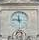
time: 11:46
